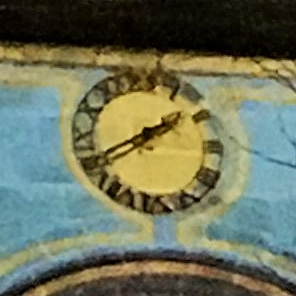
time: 1:40
